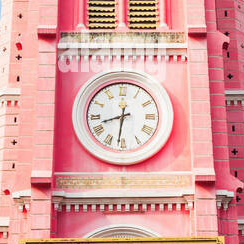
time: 8:31
